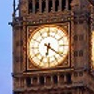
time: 6:21
